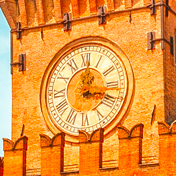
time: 12:17
